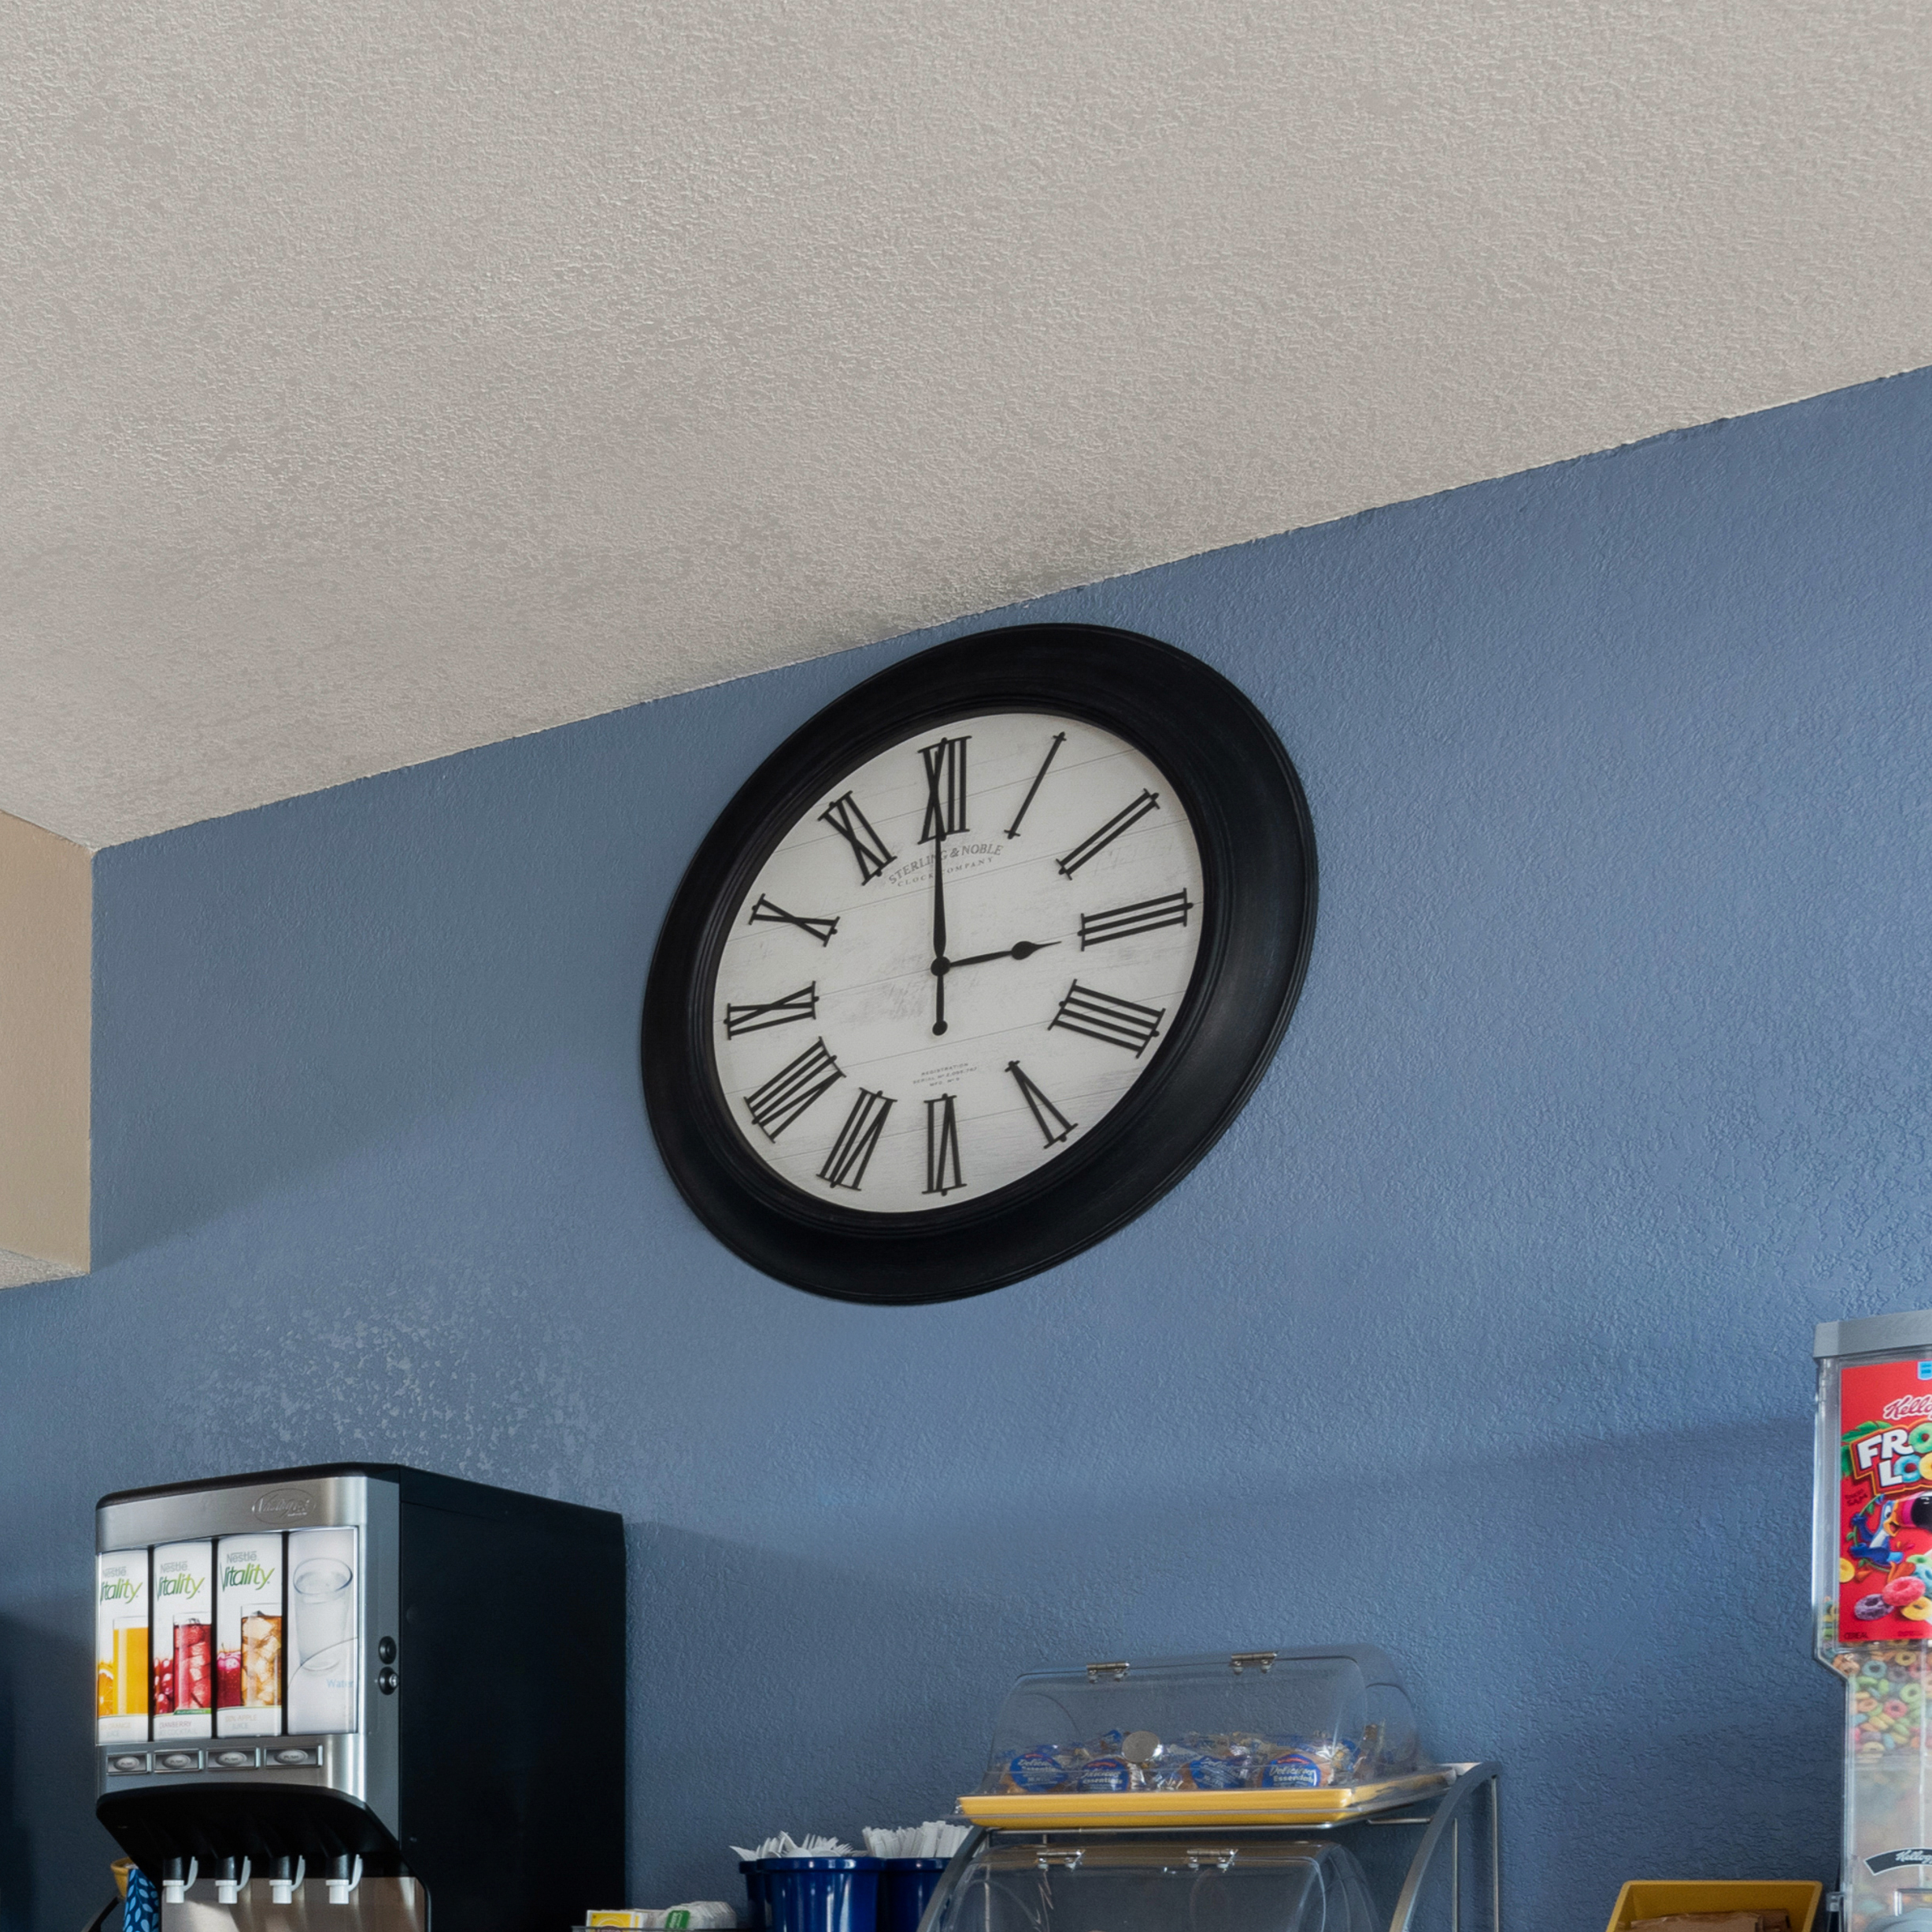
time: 2:59
